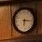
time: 6:15
